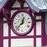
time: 12:37
